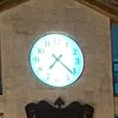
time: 7:21
